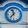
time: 11:36
